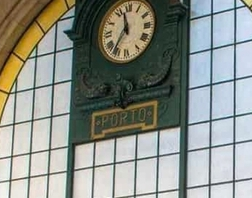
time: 11:35
